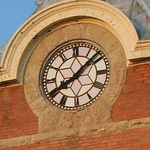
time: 8:07
